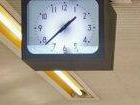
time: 1:38
